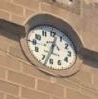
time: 12:32
